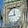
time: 11:44
